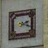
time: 2:18
